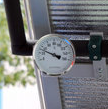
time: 3:47
